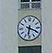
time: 6:18
